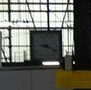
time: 9:20
